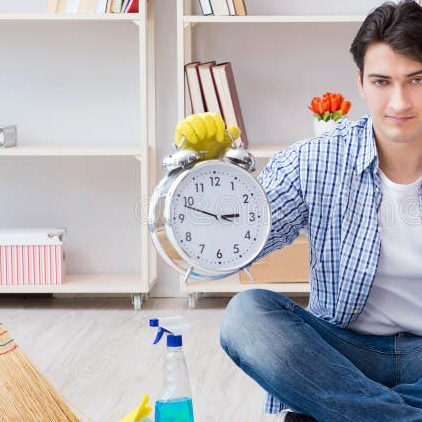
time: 2:48
